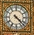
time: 4:22
